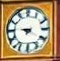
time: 9:20
